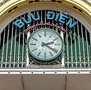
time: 2:21
